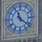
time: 11:21
